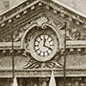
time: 12:19
